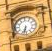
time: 6:32
